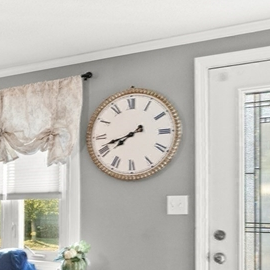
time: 7:41
